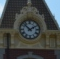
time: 1:52
